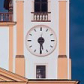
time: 5:30
